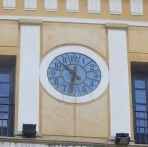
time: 10:32
